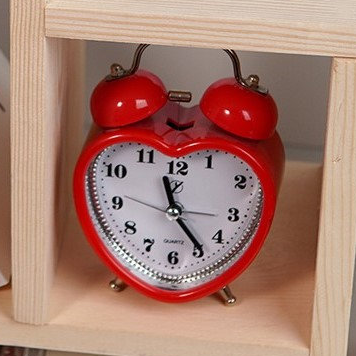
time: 11:23
